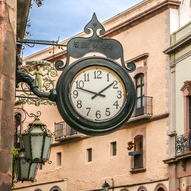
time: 1:47
